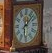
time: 12:07
